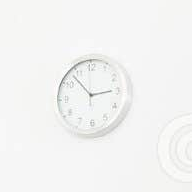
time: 2:53
